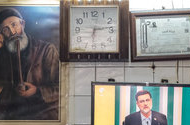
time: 6:13
